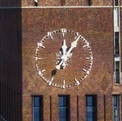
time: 12:06
